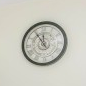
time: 11:54
